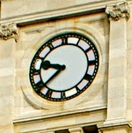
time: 9:38
